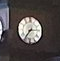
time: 7:14
